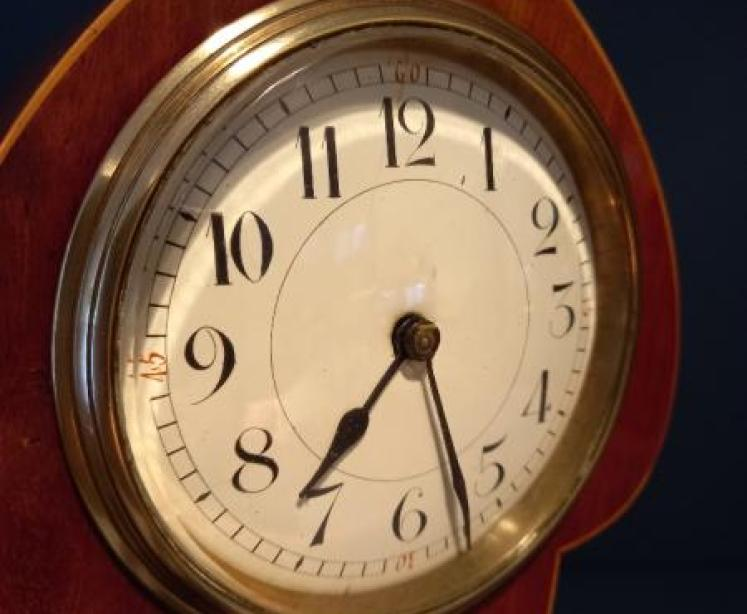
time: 7:27
